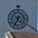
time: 4:34
